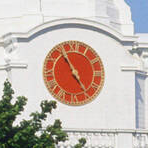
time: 4:54
